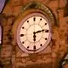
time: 6:14
